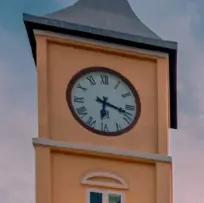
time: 6:17
